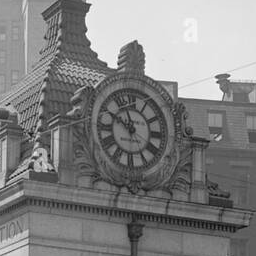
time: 9:57
